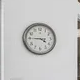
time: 3:45
